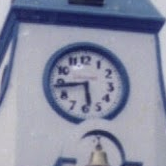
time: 5:43
